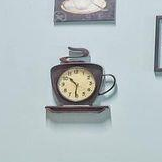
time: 10:31
